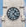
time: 1:22
